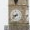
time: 8:38
